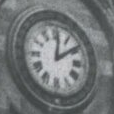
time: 12:09
